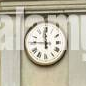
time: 11:46
